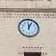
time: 12:05
